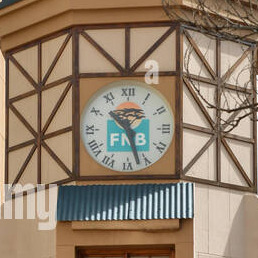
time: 10:27
